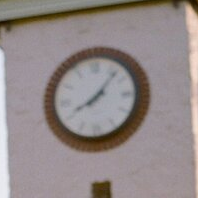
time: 8:06
